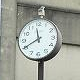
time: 11:40
